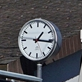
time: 1:16
